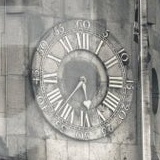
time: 5:36
